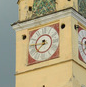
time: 7:45
